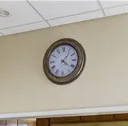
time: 4:06
